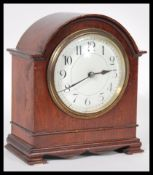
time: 2:40
